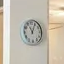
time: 11:04
